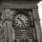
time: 10:26
